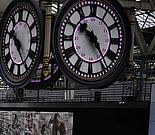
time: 10:24
